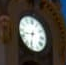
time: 8:32
